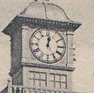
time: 12:24
